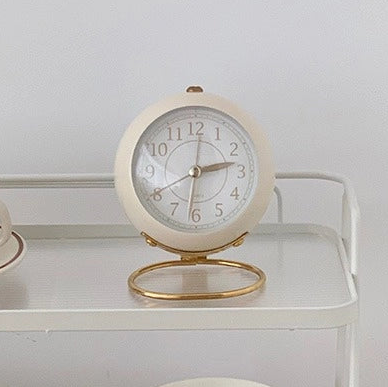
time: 2:40
